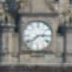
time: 2:38
